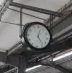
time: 12:23
